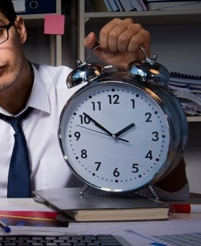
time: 1:51
